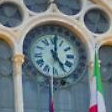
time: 5:01
